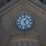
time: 1:27
